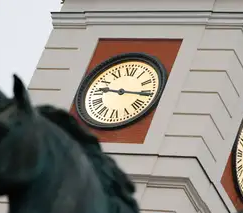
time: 9:15
